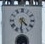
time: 4:31
